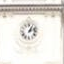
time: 1:12
